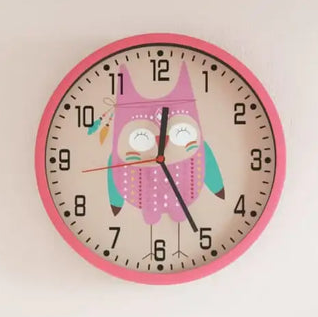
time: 12:25
